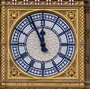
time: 11:55
